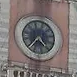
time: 4:37
